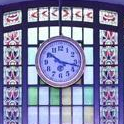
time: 10:17
